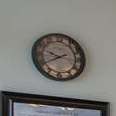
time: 9:40
